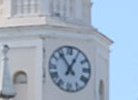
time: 12:53
